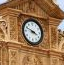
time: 3:48
